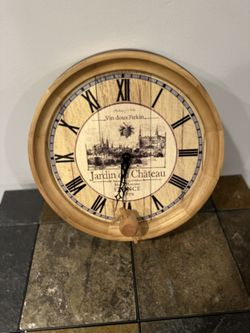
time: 8:31
